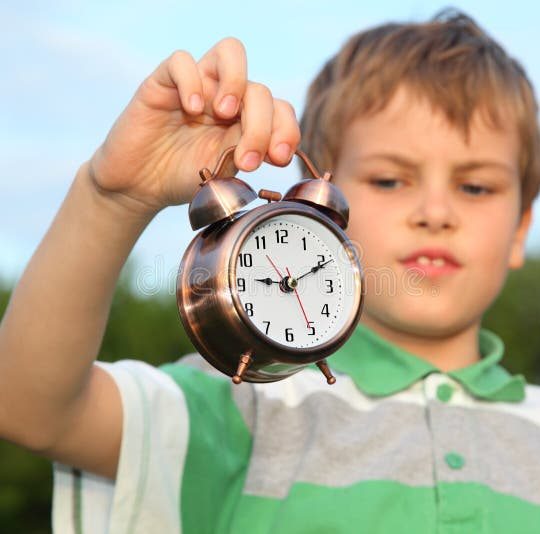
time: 9:10
